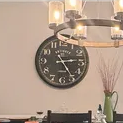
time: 2:24
